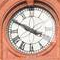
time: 3:50
